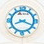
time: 8:18
